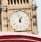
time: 12:57
